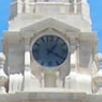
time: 1:20
